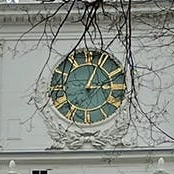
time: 3:04
